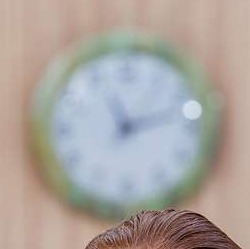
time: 11:12
